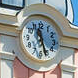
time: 11:26
